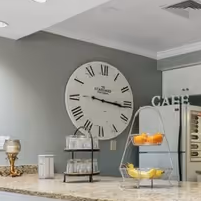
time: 3:16
